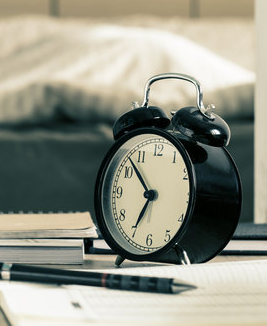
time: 6:52
